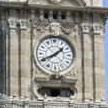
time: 1:40
